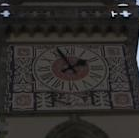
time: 1:56
